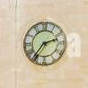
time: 2:36
